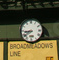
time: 8:38
